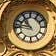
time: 10:46
